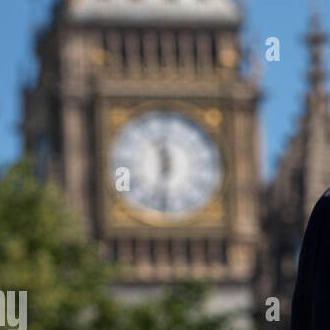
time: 11:32
